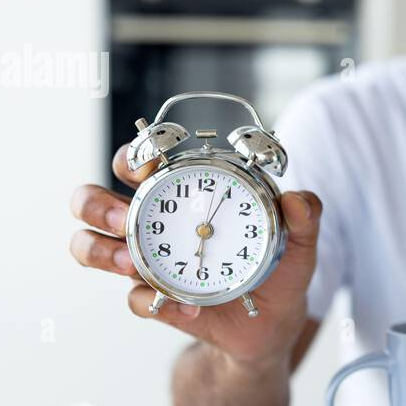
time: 6:04
